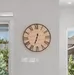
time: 6:33
